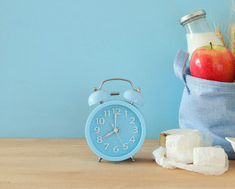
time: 8:00
